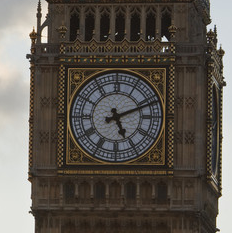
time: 5:11
